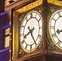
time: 8:24
